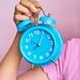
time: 10:04
